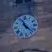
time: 11:22
